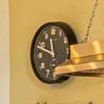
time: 11:48
